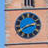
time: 2:40
